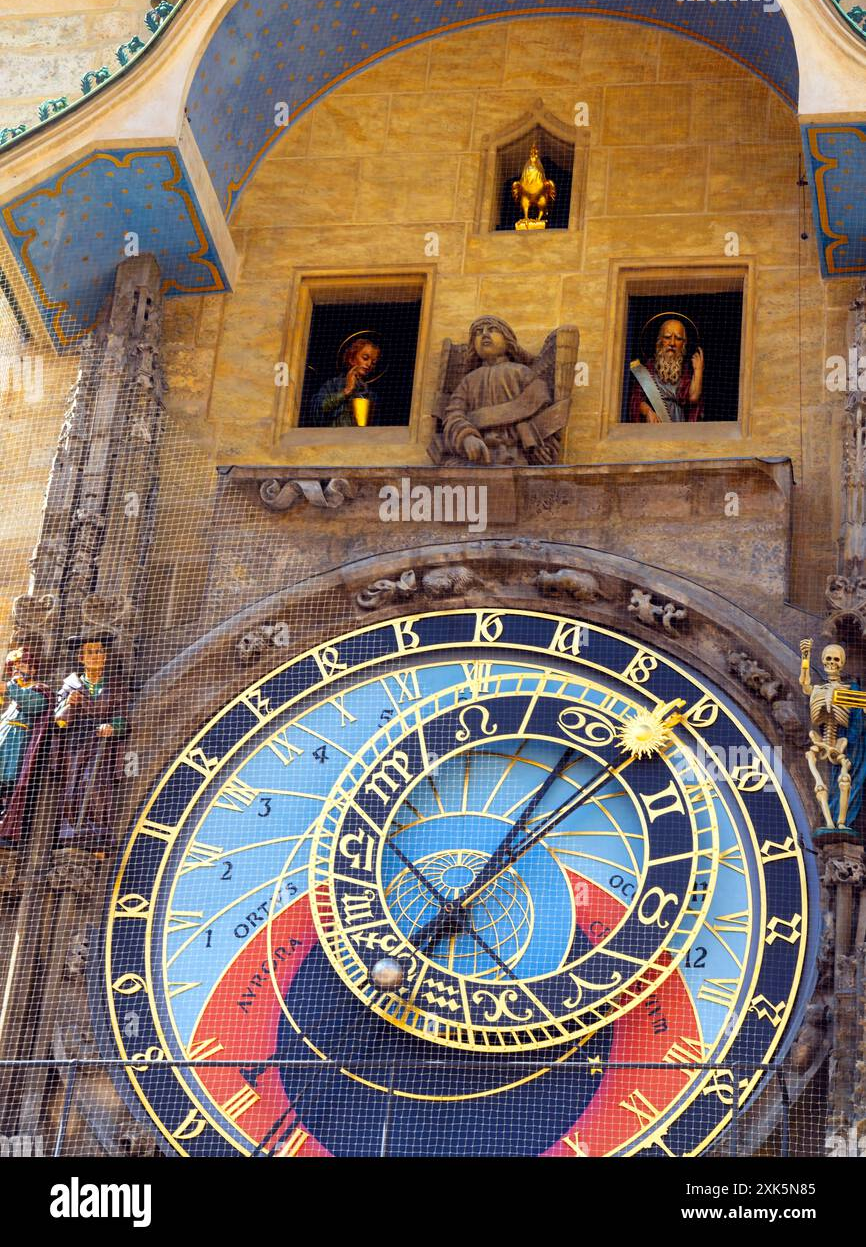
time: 7:04
